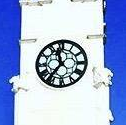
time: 11:36
